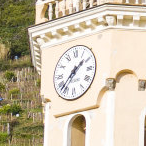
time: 1:37
